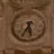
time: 5:35
